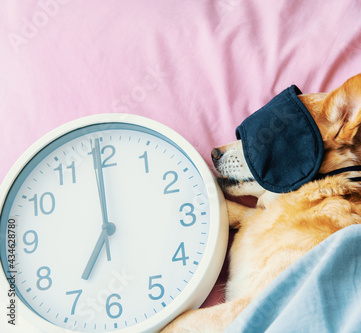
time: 6:59
